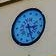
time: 3:26
